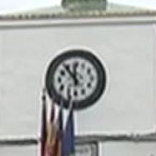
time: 11:53
